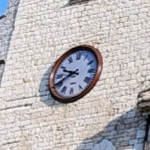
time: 9:40
